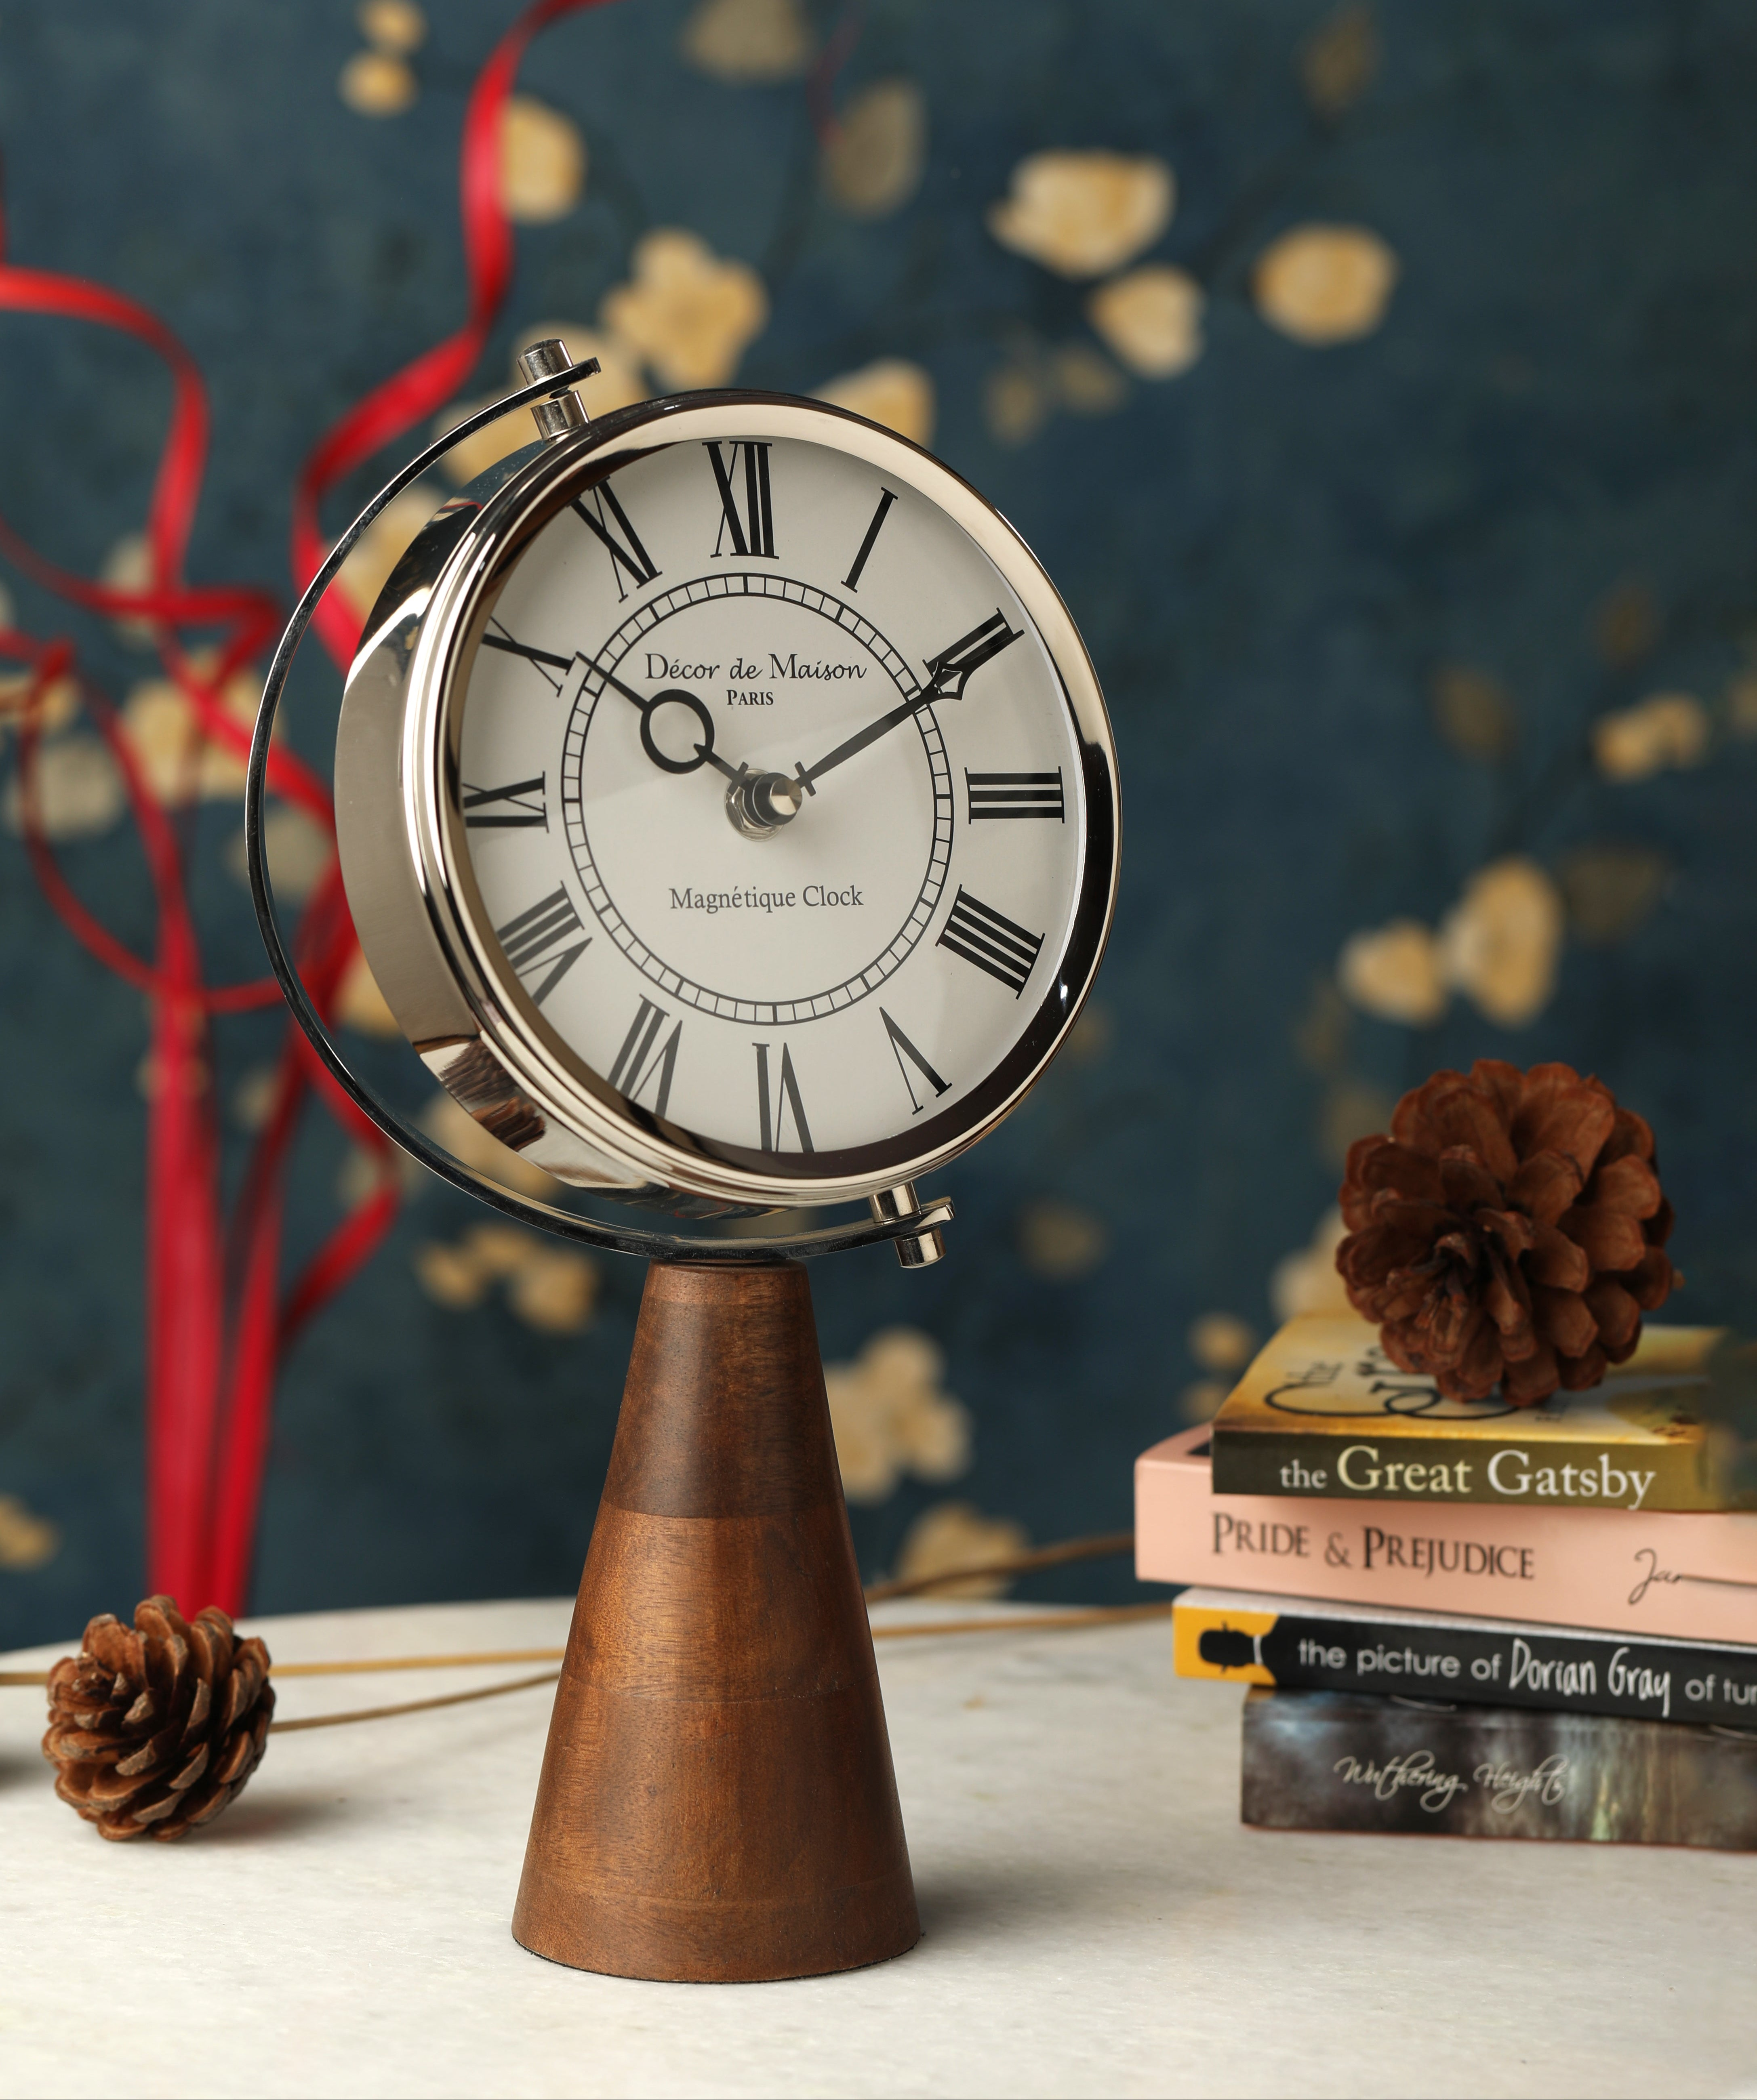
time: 10:10
